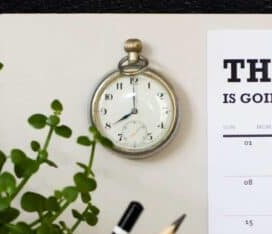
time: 7:59
